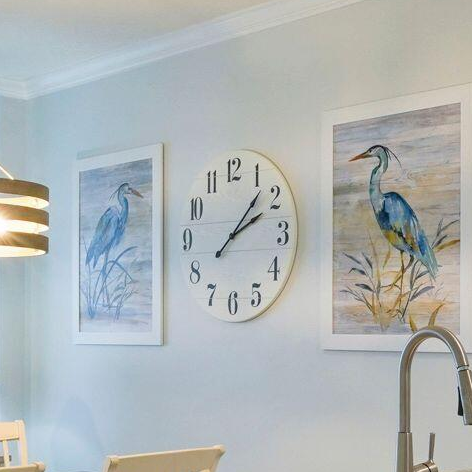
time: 2:07
